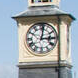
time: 3:02
